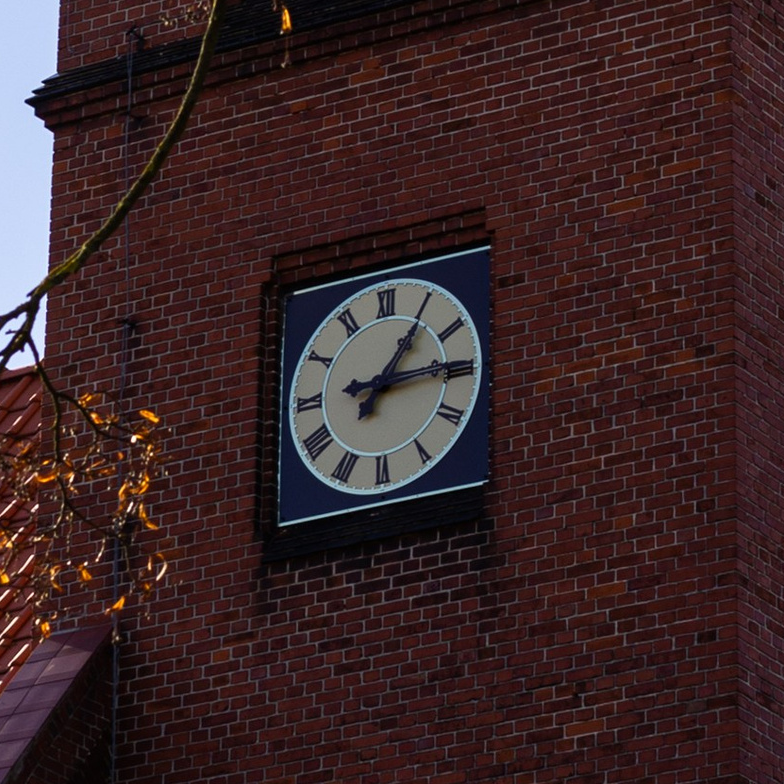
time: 1:14
